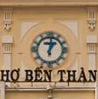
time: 1:01
